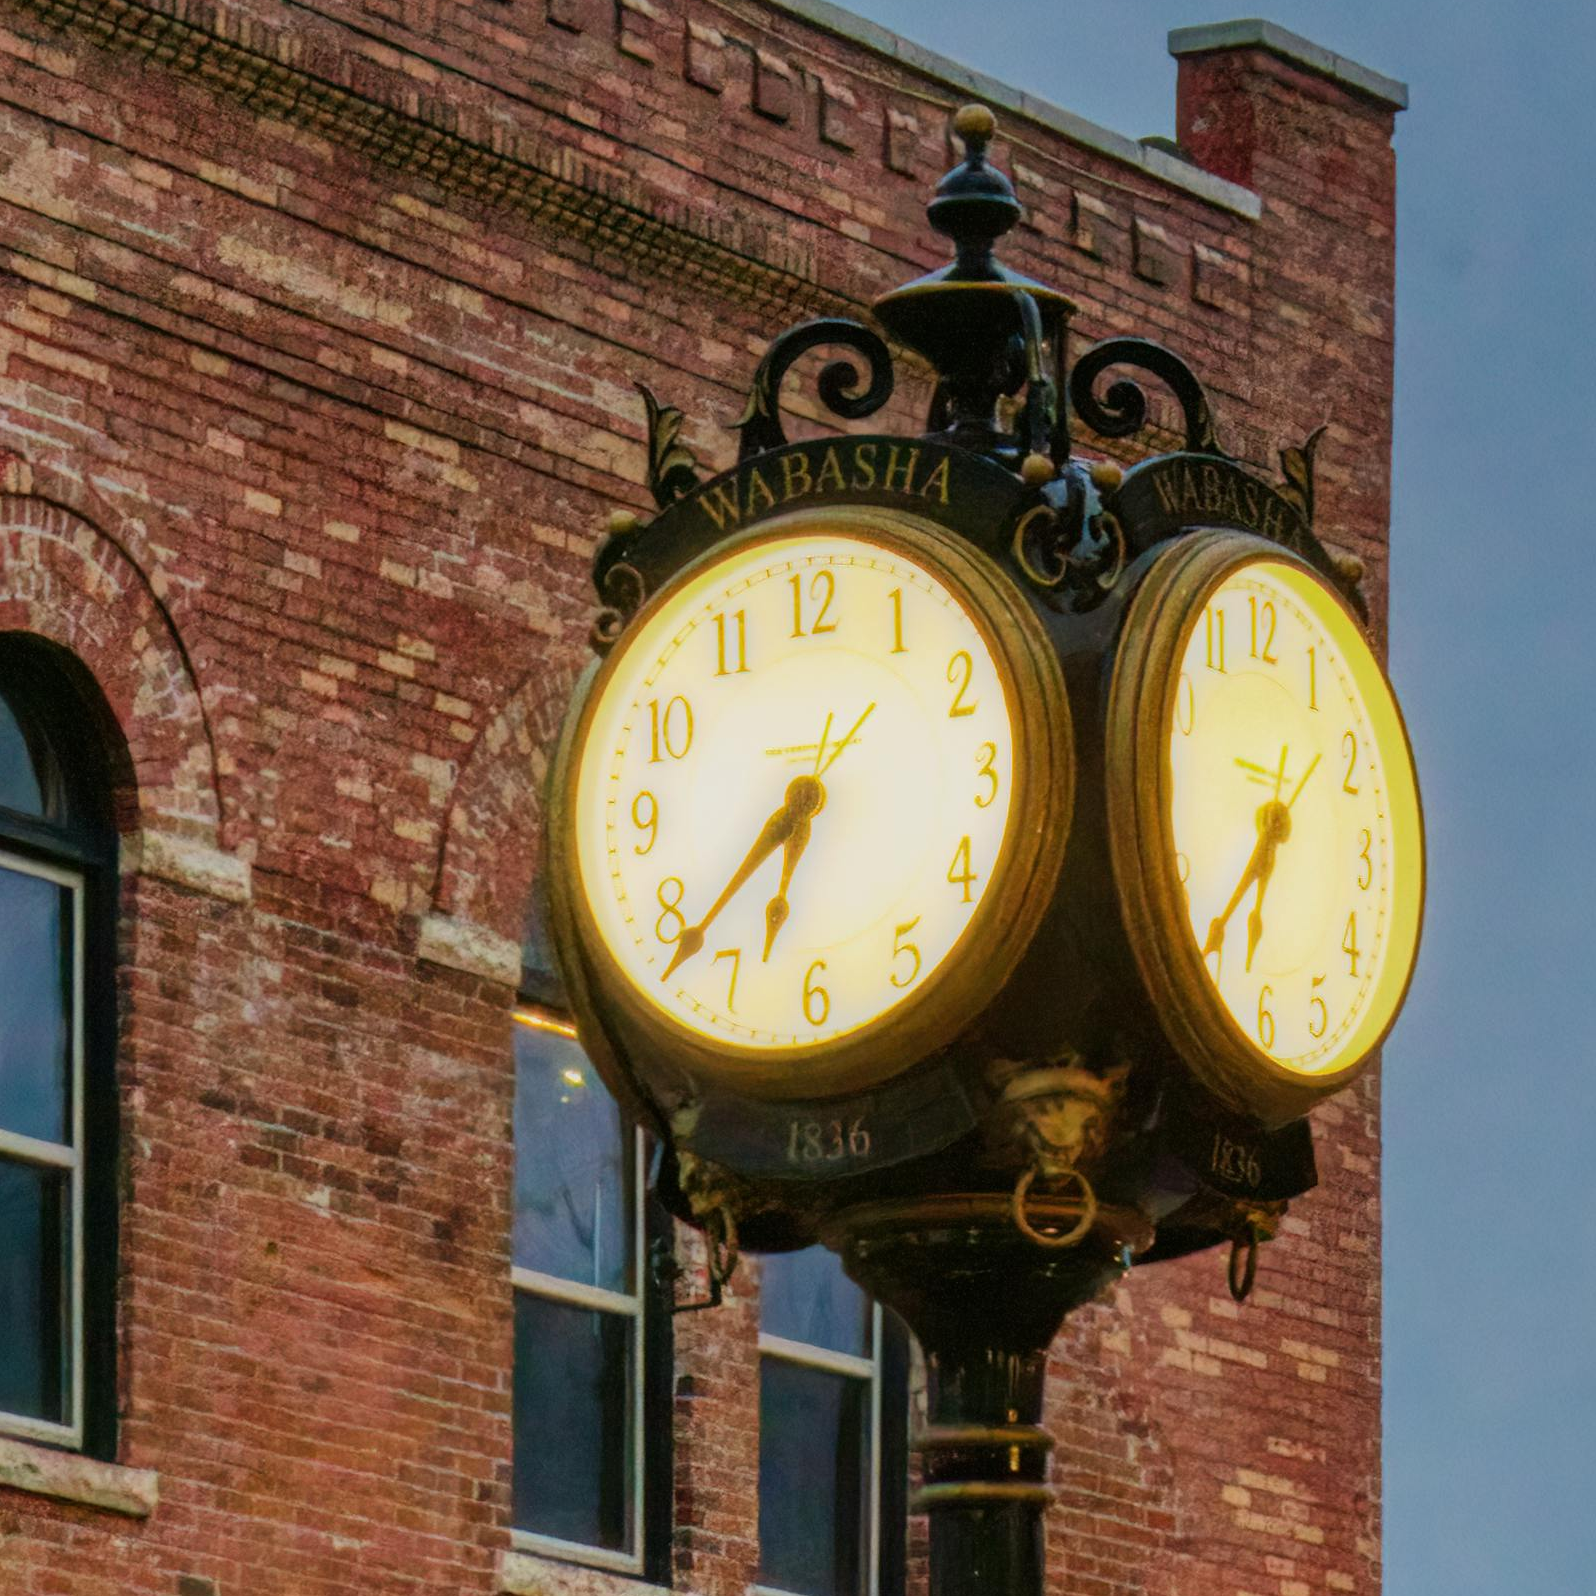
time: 6:38
